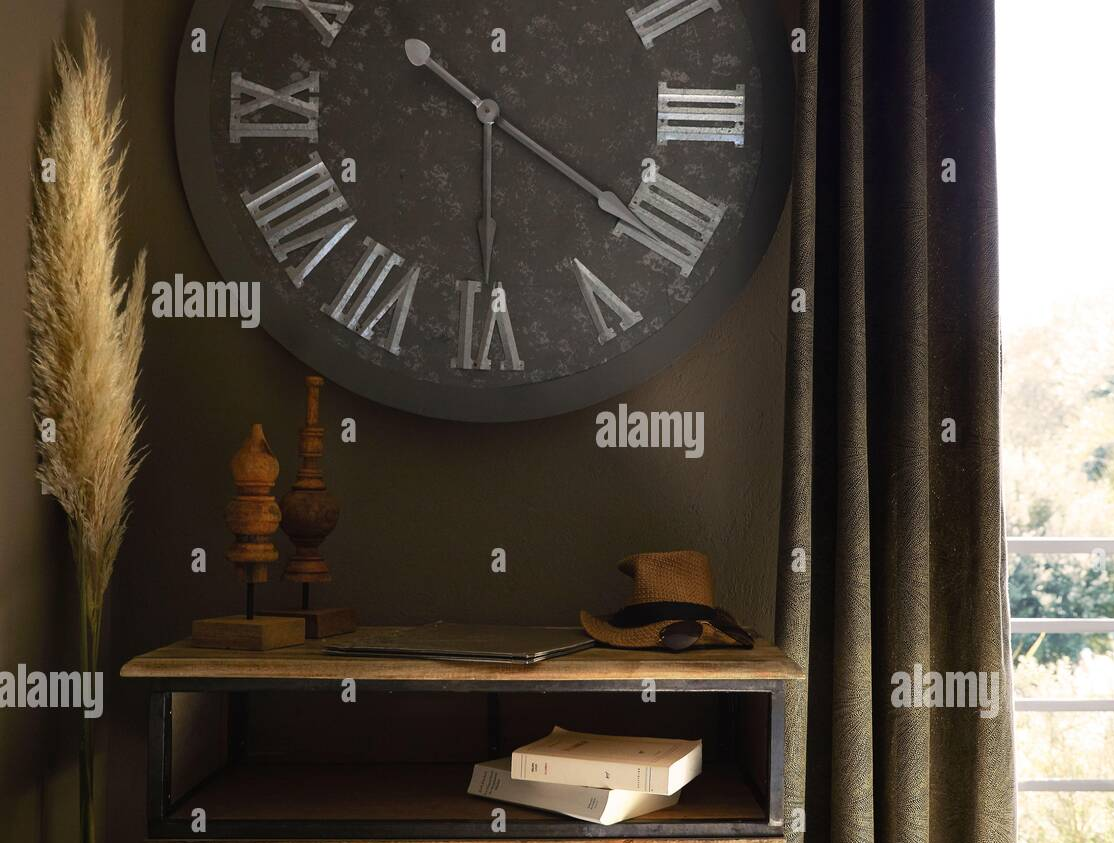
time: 10:20
